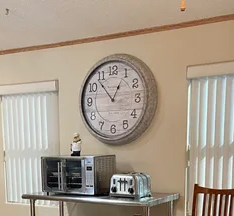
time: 12:53
